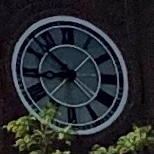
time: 8:52
